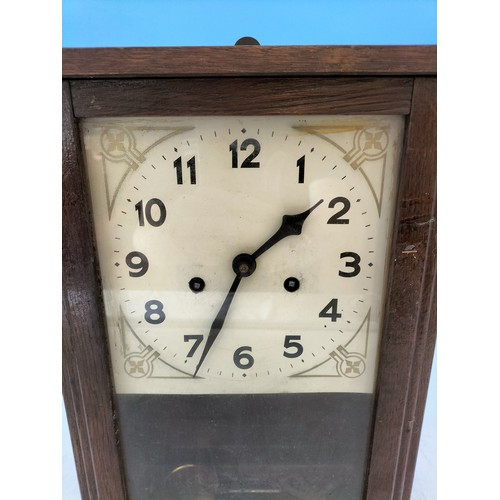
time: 1:34
